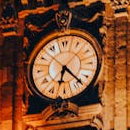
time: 6:23
